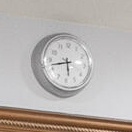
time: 5:42
